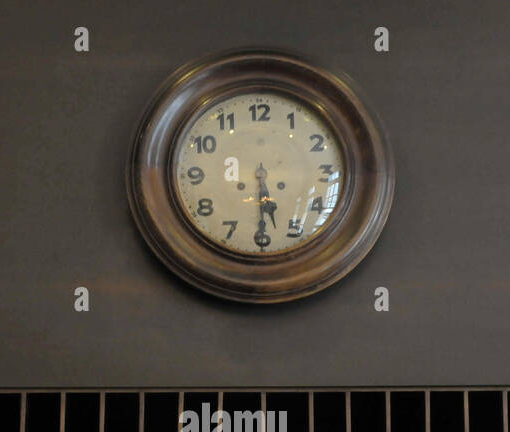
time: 5:30
